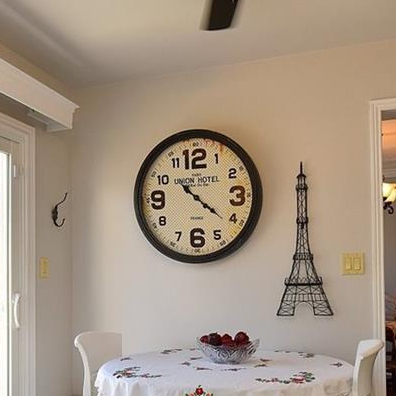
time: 10:21
